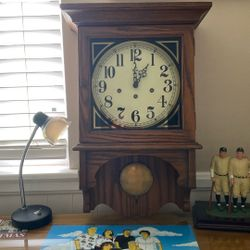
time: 1:00
